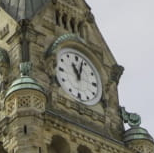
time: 11:03
